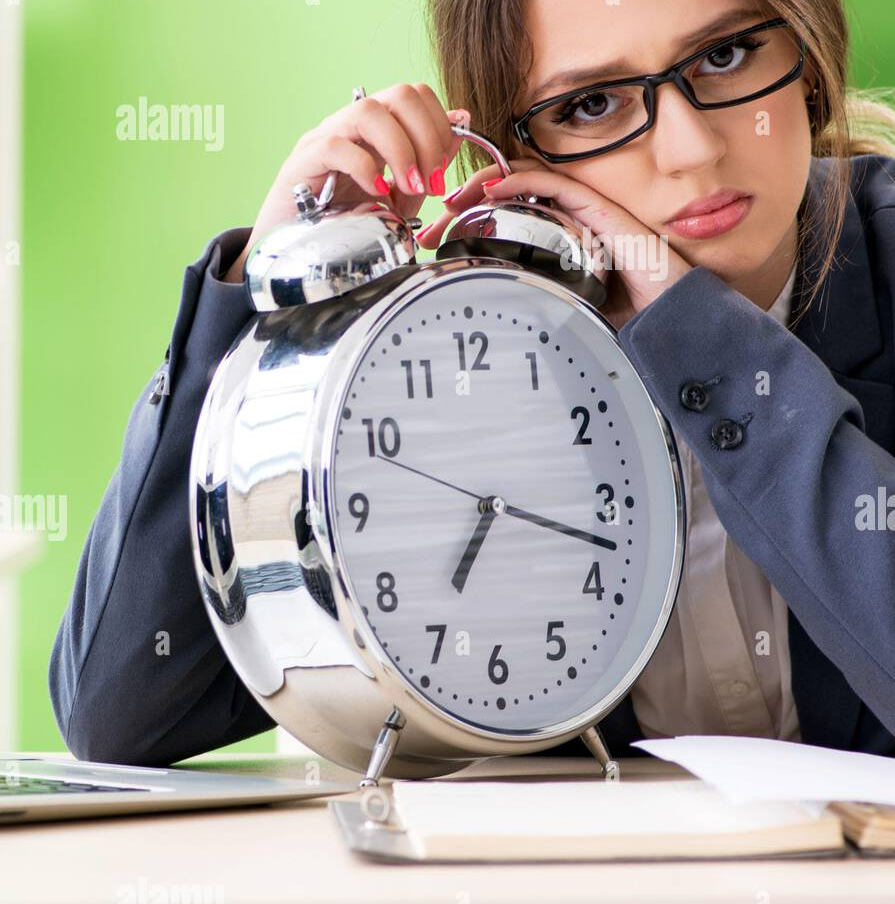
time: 7:17
